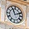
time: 11:11
